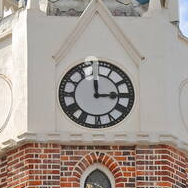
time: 12:14
